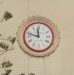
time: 11:47
